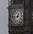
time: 12:43
